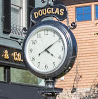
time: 4:09
